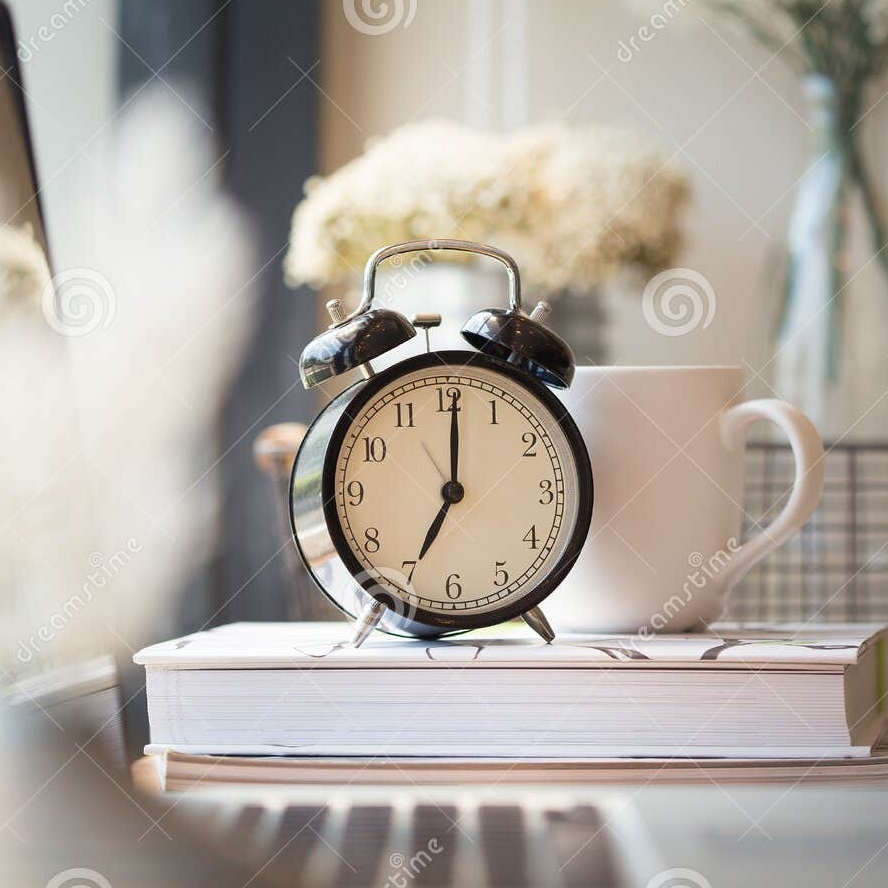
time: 7:00
